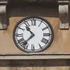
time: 10:37
